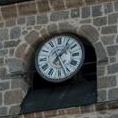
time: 1:26
